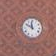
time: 11:49
